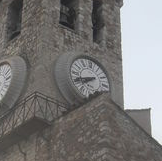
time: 7:41
